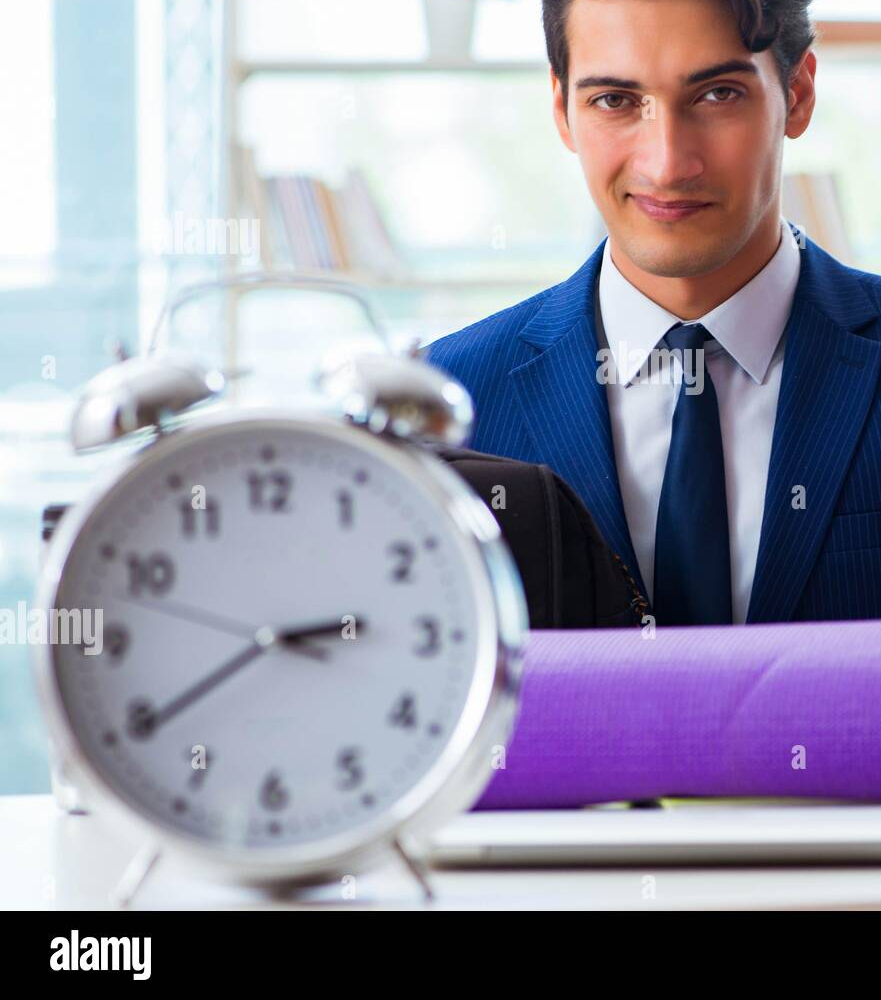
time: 2:39
